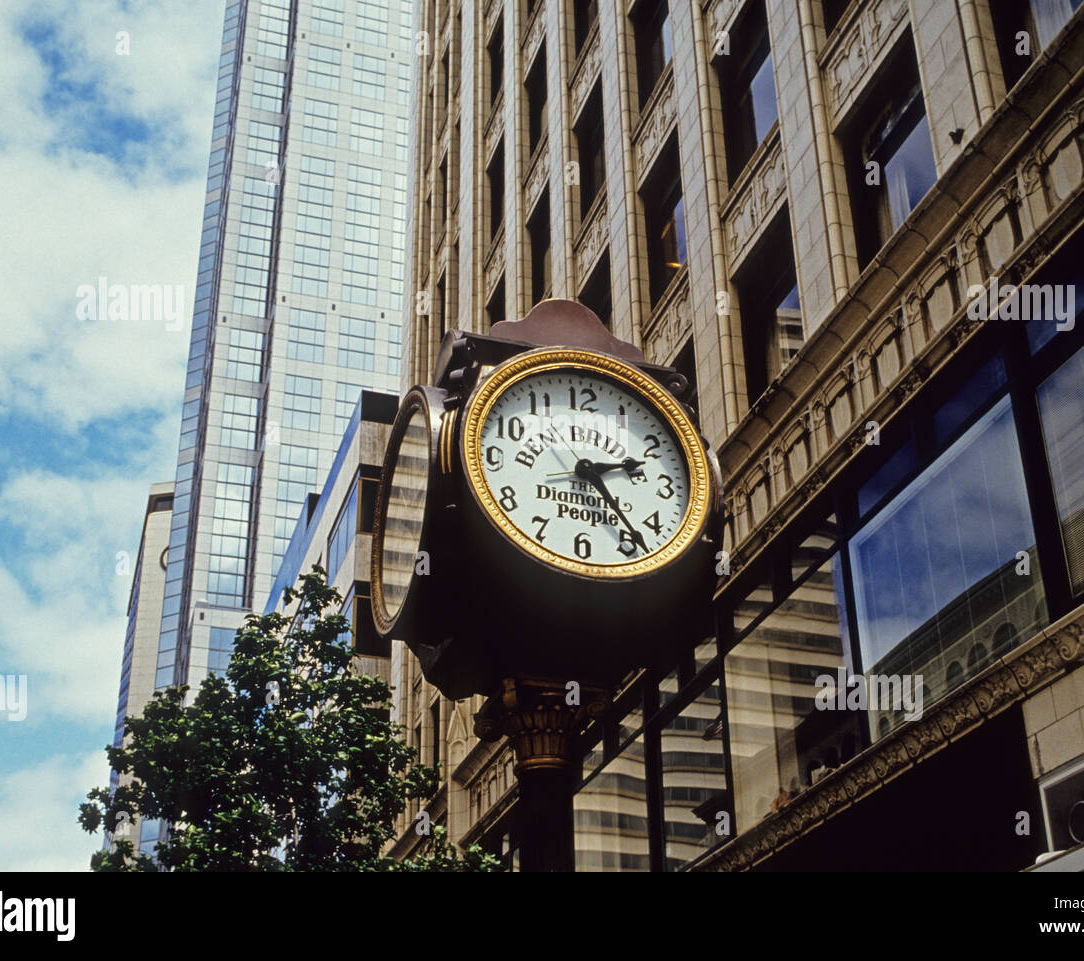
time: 2:23
